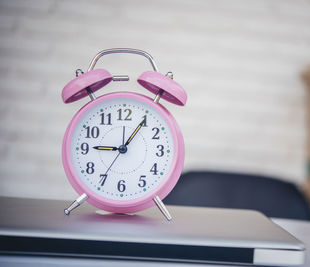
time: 9:05
